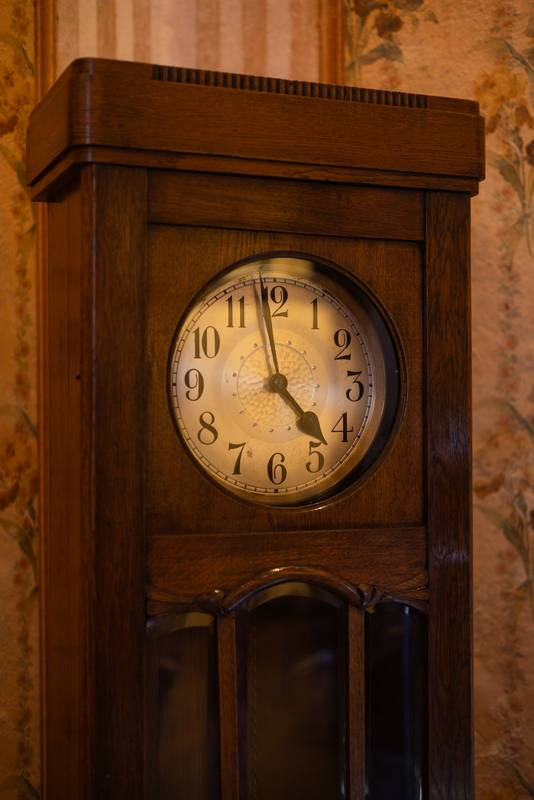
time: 3:58
